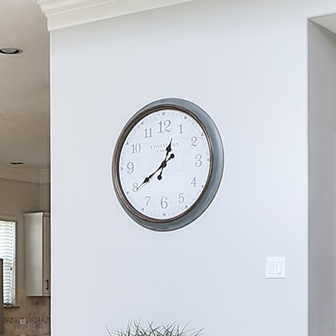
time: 12:39
